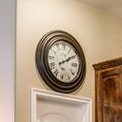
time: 2:09
